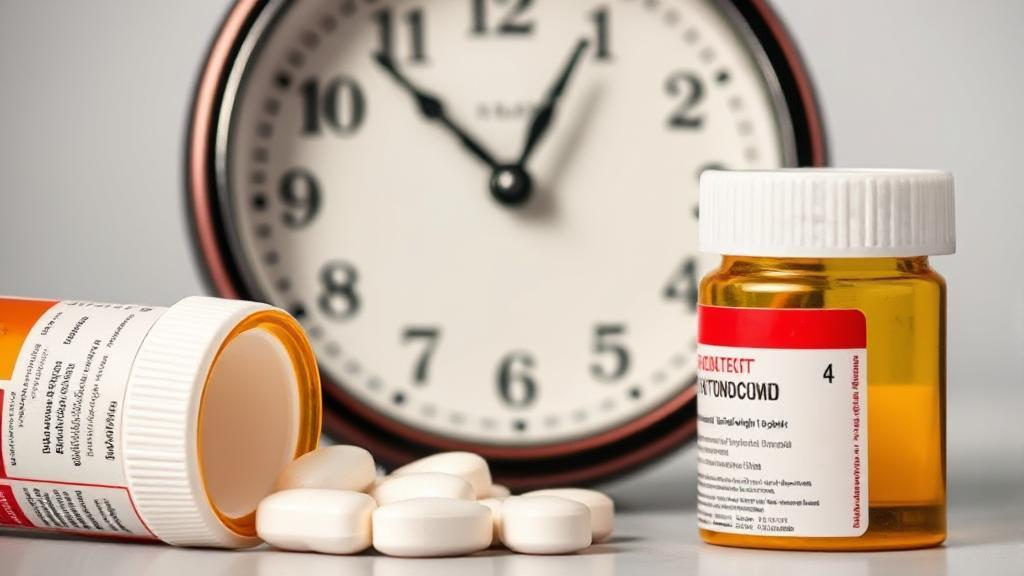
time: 12:53
